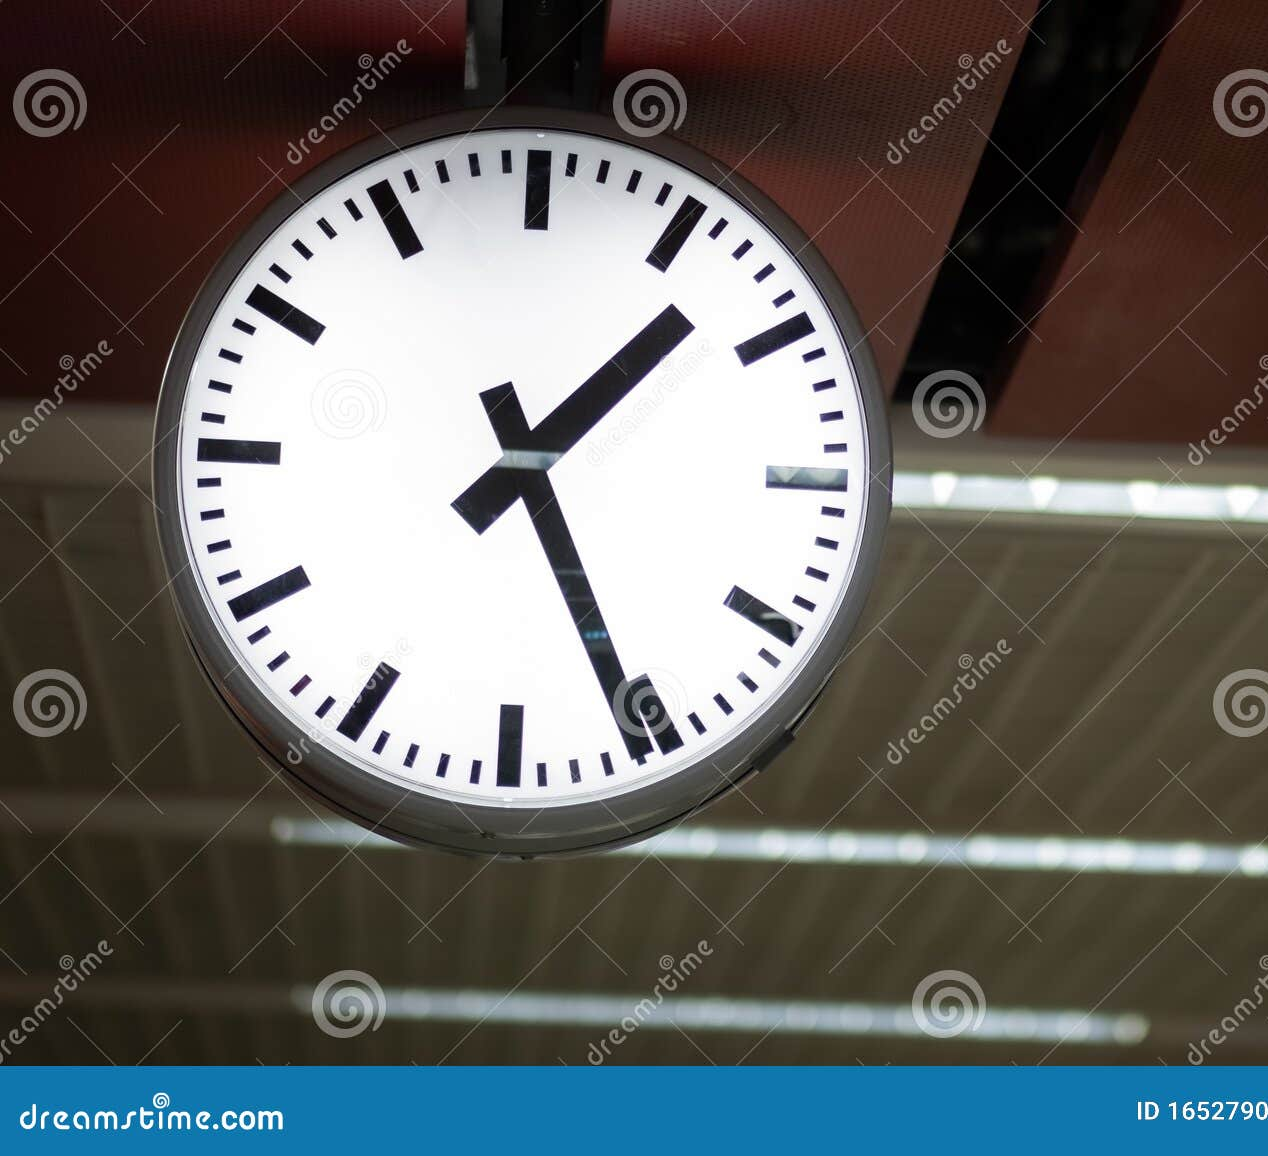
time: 1:26
